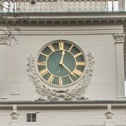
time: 12:22
